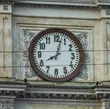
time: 8:02
